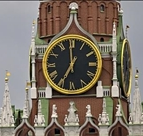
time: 6:59
